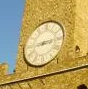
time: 8:44
